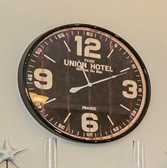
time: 11:10
